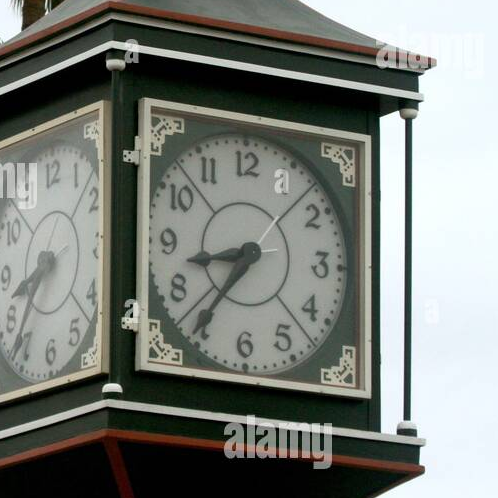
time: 8:36
